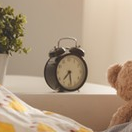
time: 7:28
